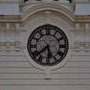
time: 5:38
